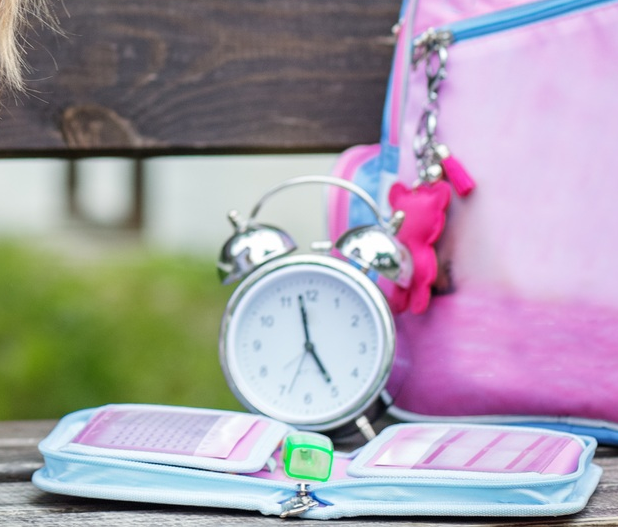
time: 4:58
